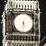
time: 5:30
